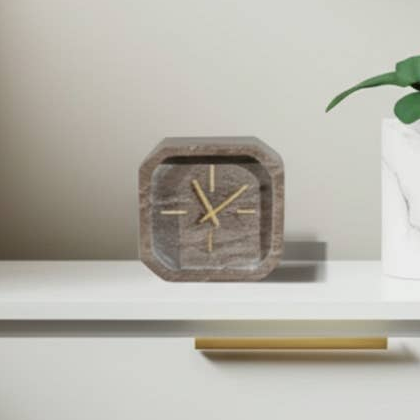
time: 11:07
